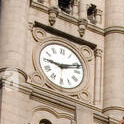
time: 9:11
